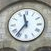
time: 11:36
